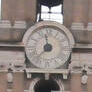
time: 11:37
